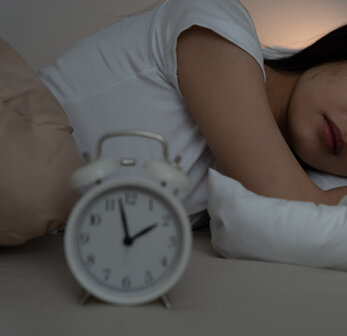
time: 1:57
